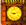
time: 9:12
